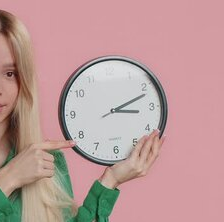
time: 3:11
